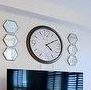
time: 4:09
